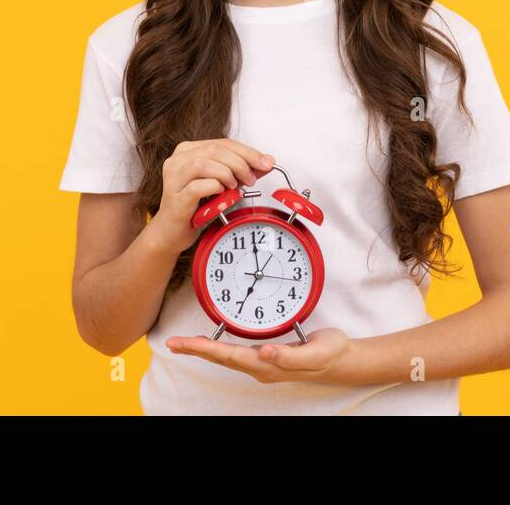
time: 6:58
